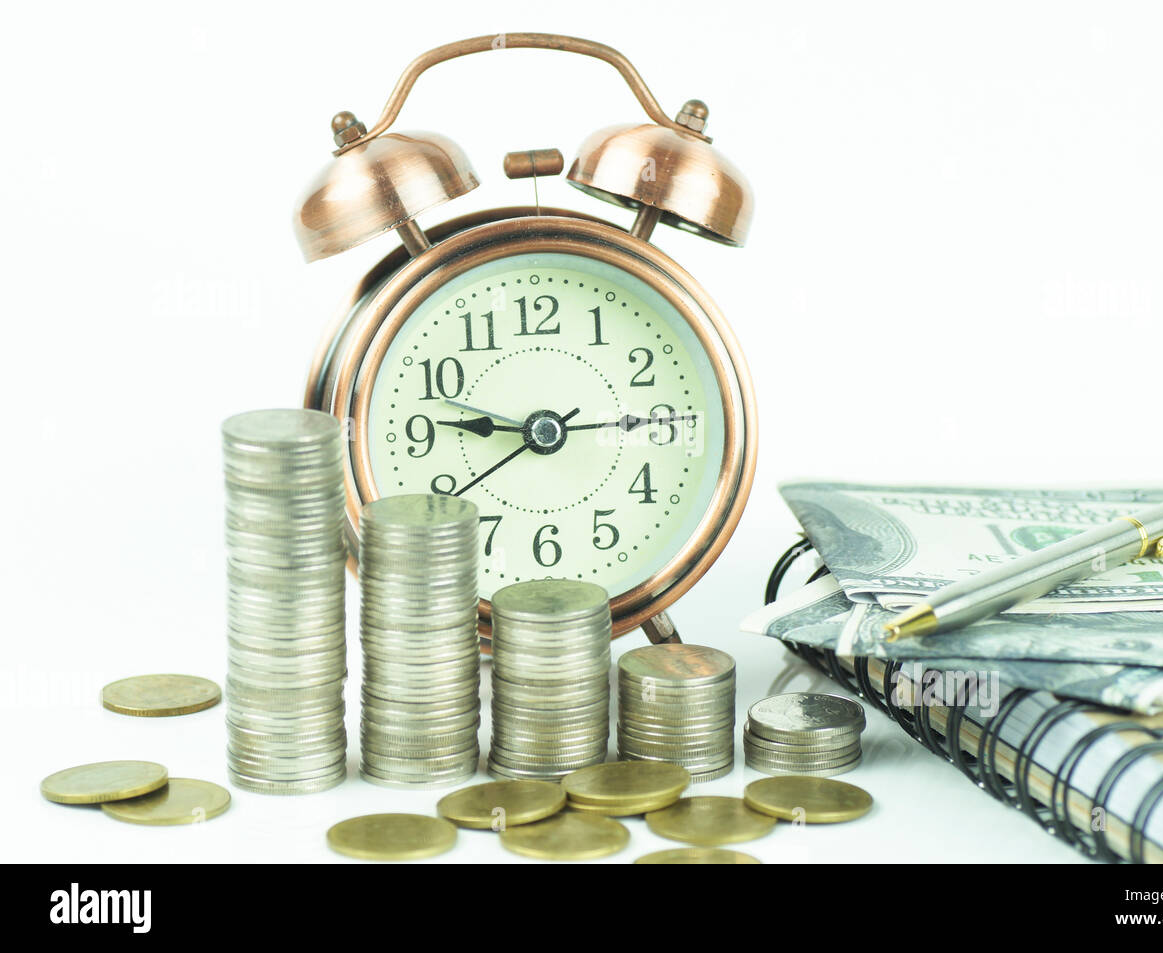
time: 9:14
